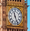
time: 11:26
